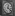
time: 12:21
